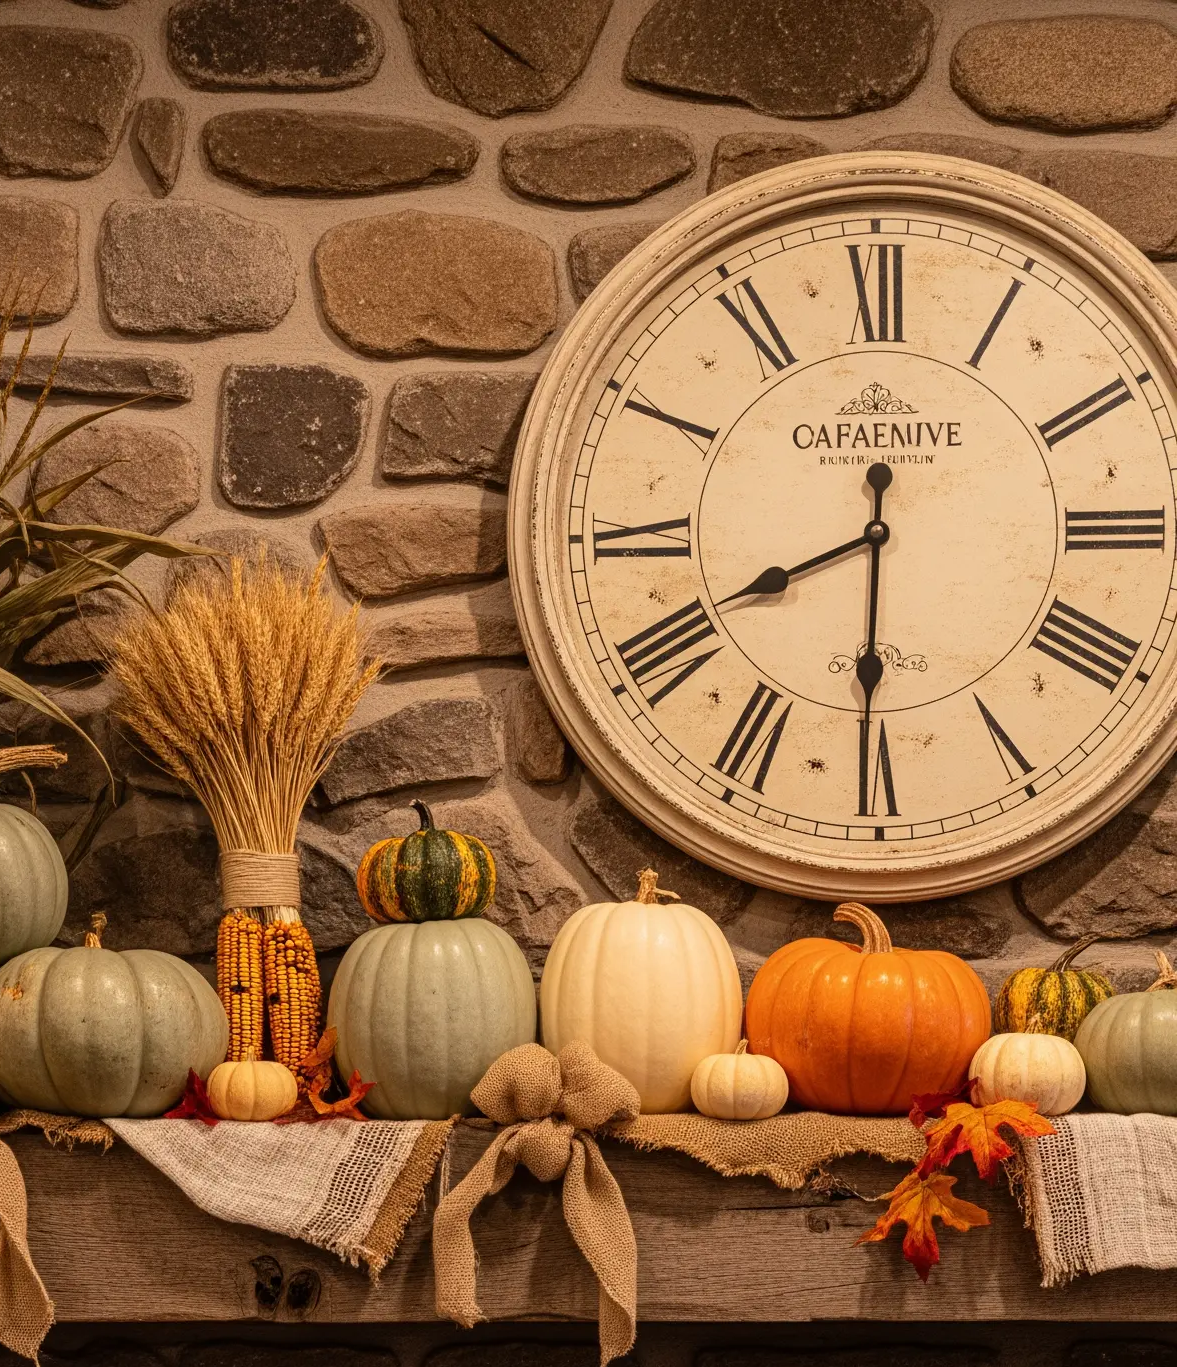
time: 8:30
